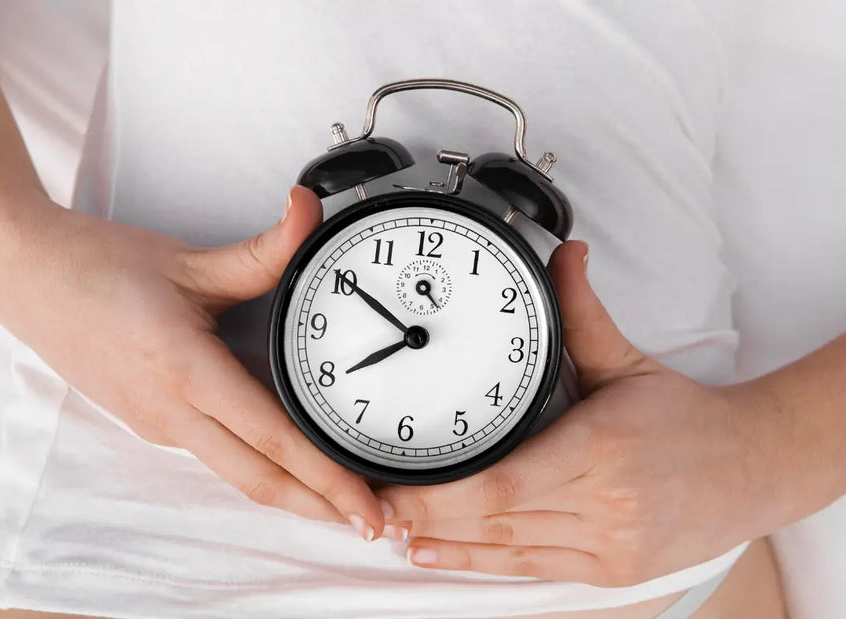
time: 7:50
